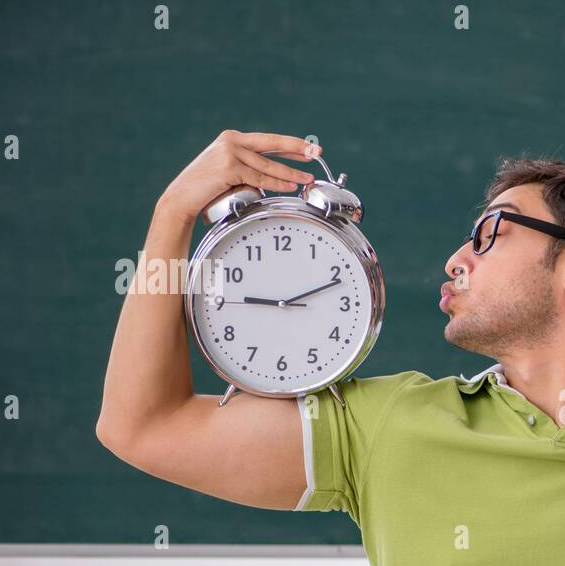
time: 9:11
